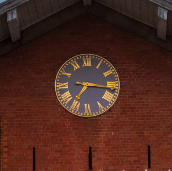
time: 7:16
